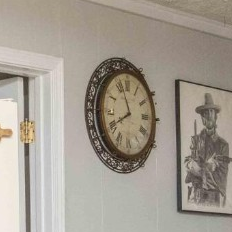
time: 11:40
